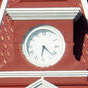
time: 6:22
